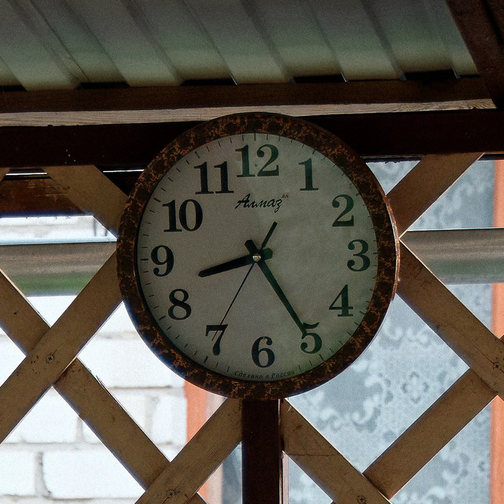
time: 8:24
